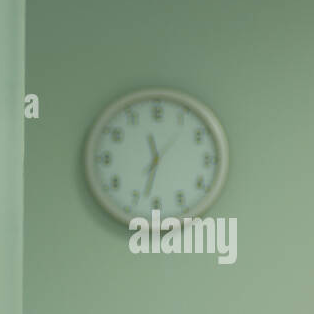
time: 11:32
